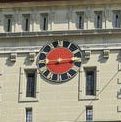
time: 2:44
